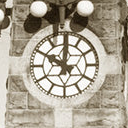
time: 10:00
